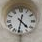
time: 4:31
